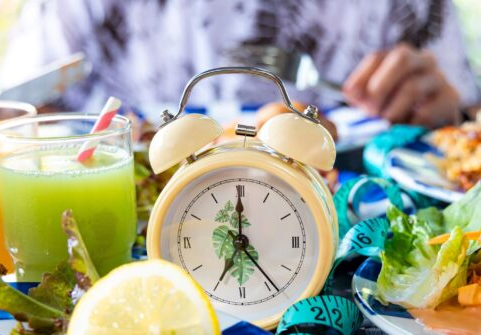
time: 7:00
